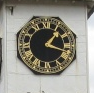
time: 1:18
